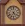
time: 4:35
